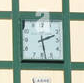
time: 2:28
